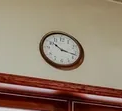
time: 10:17
